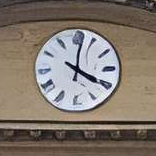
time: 4:01
